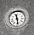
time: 11:28
